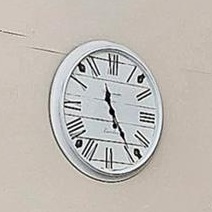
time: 11:24
